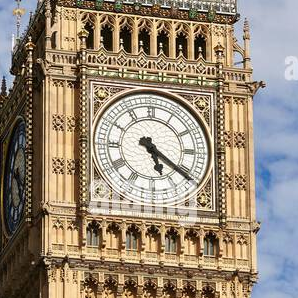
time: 5:21
